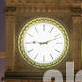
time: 9:11
